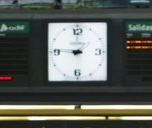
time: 8:45
